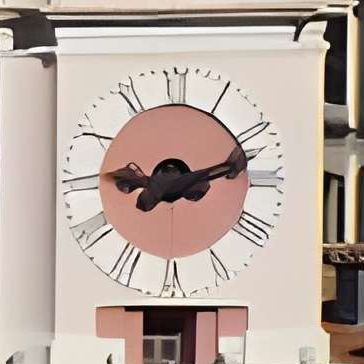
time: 9:12
